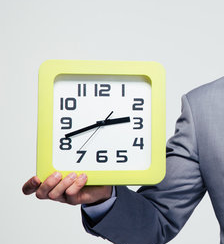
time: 2:41
